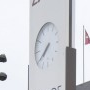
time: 7:39
